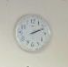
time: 2:11
